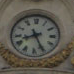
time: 8:25
